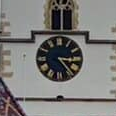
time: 3:23
